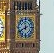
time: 11:40
